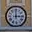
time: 3:00
